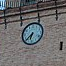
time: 6:37
